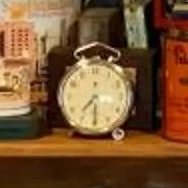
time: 7:29
